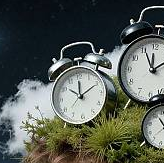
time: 12:10
